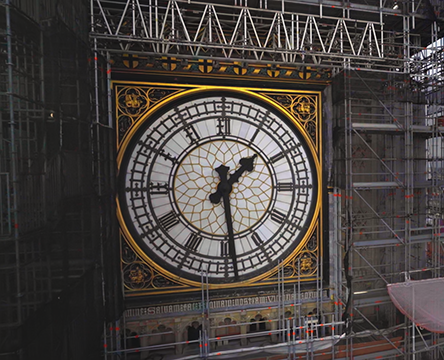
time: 1:28
